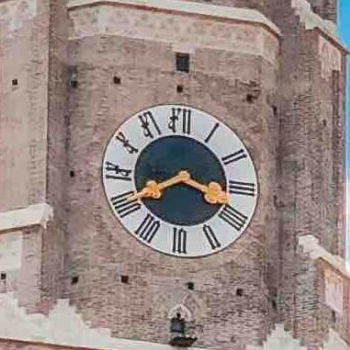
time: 3:40
